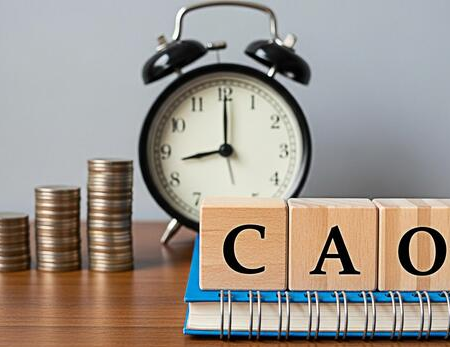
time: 9:00
